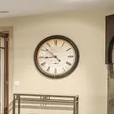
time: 8:52
